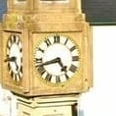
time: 4:42
